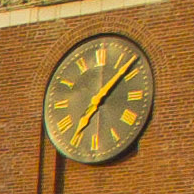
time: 7:08
